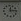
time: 12:14
